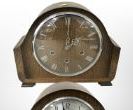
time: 2:01
